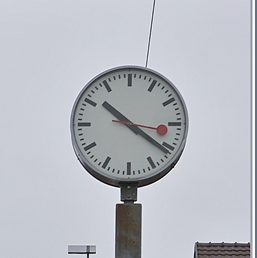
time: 10:20
